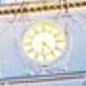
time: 6:23
